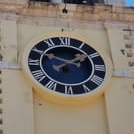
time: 1:49
